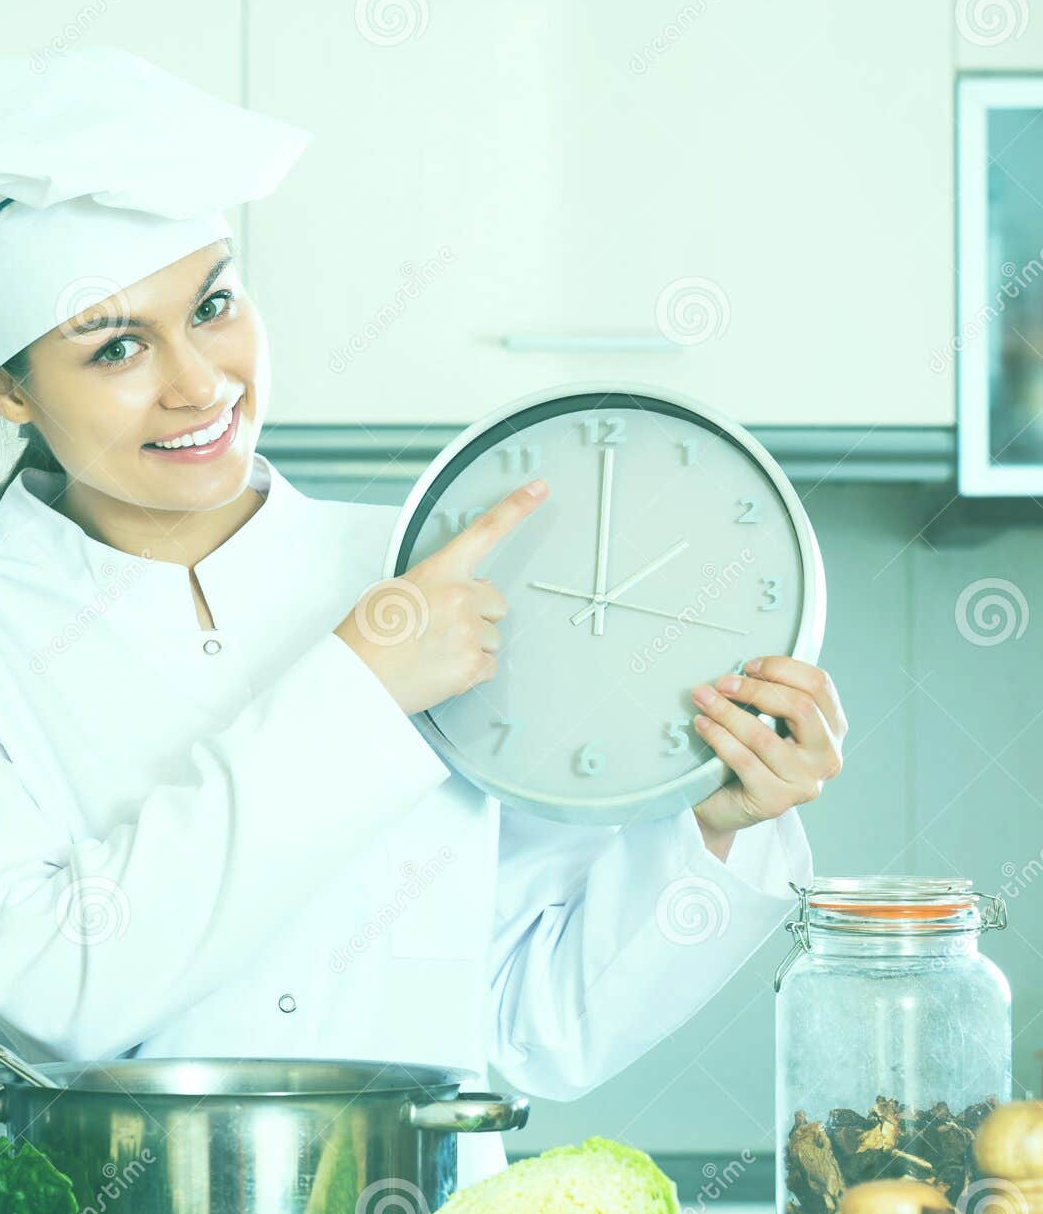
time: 2:00
